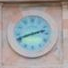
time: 8:12
